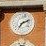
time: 7:11
